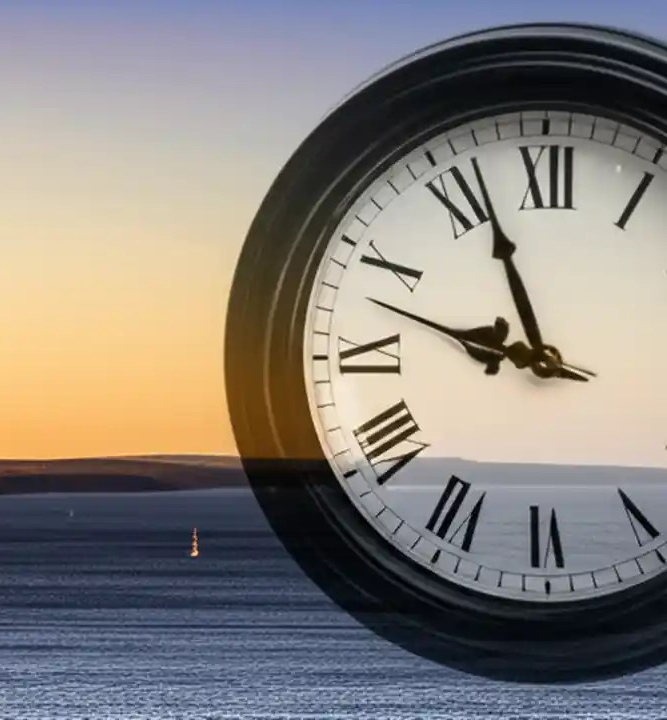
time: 9:56
